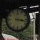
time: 3:17
